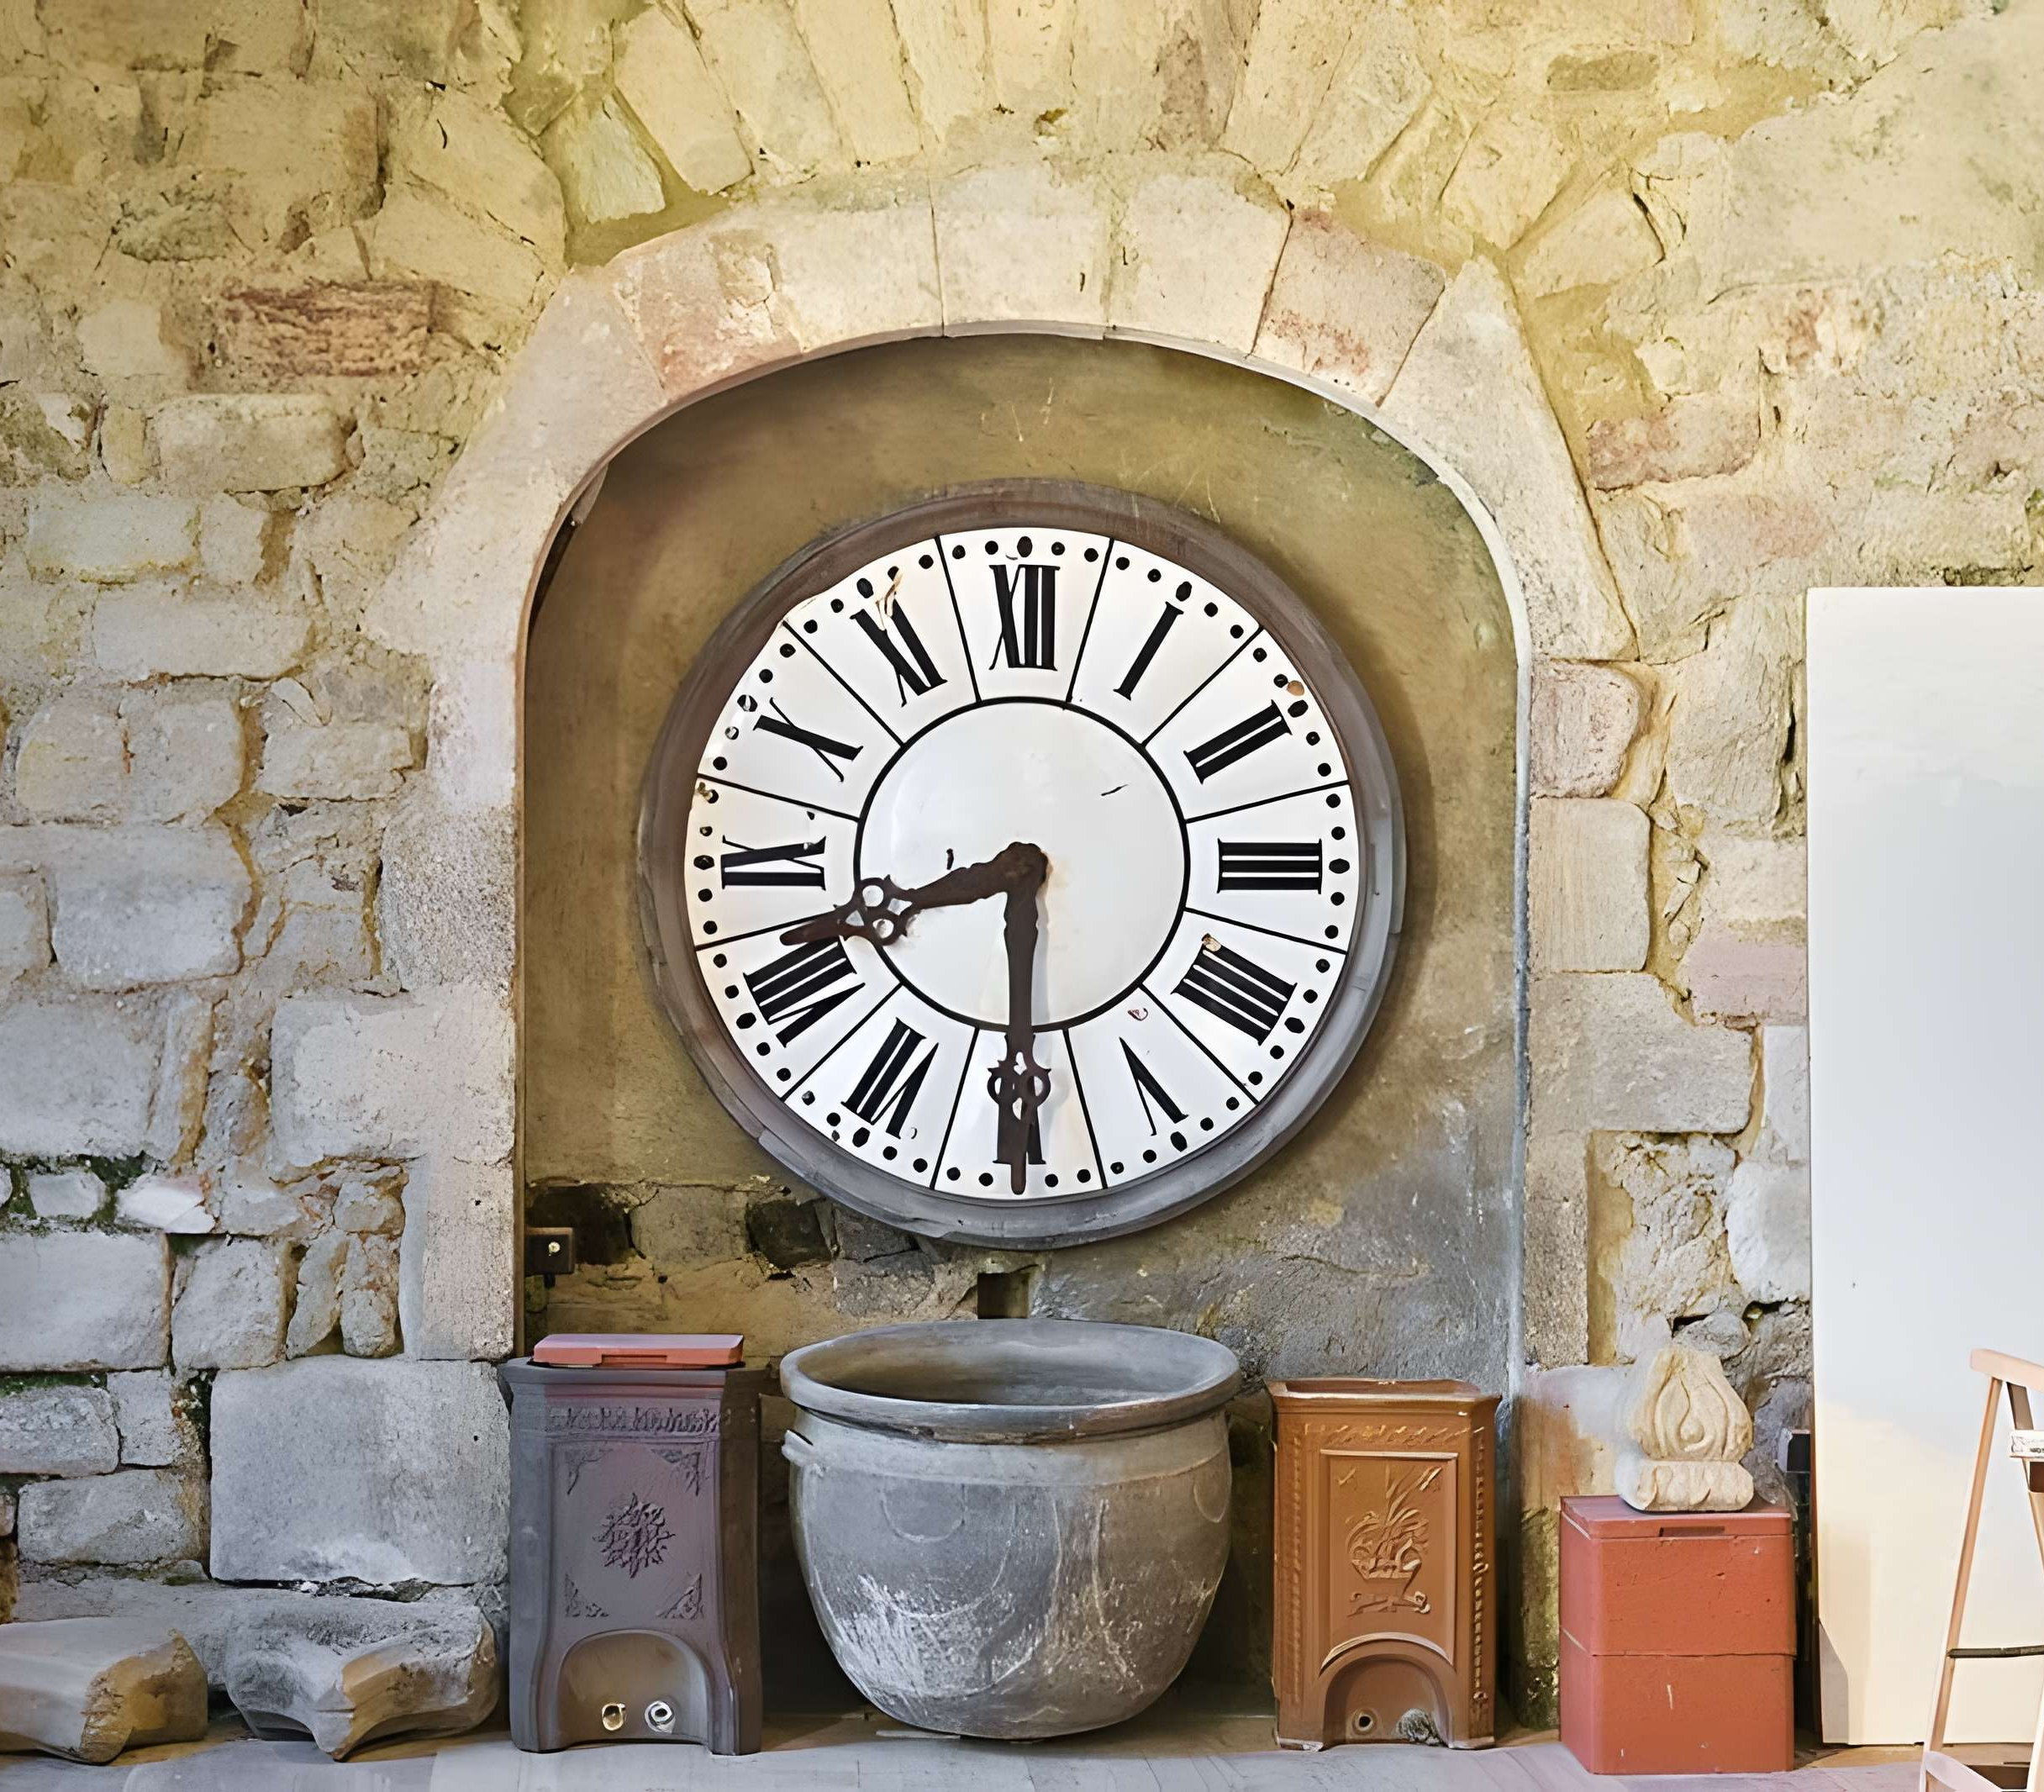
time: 8:29
